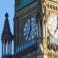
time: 7:00
